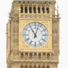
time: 11:02
